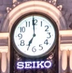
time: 6:59
